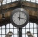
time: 12:16
